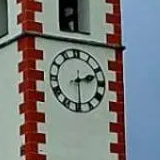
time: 2:29
